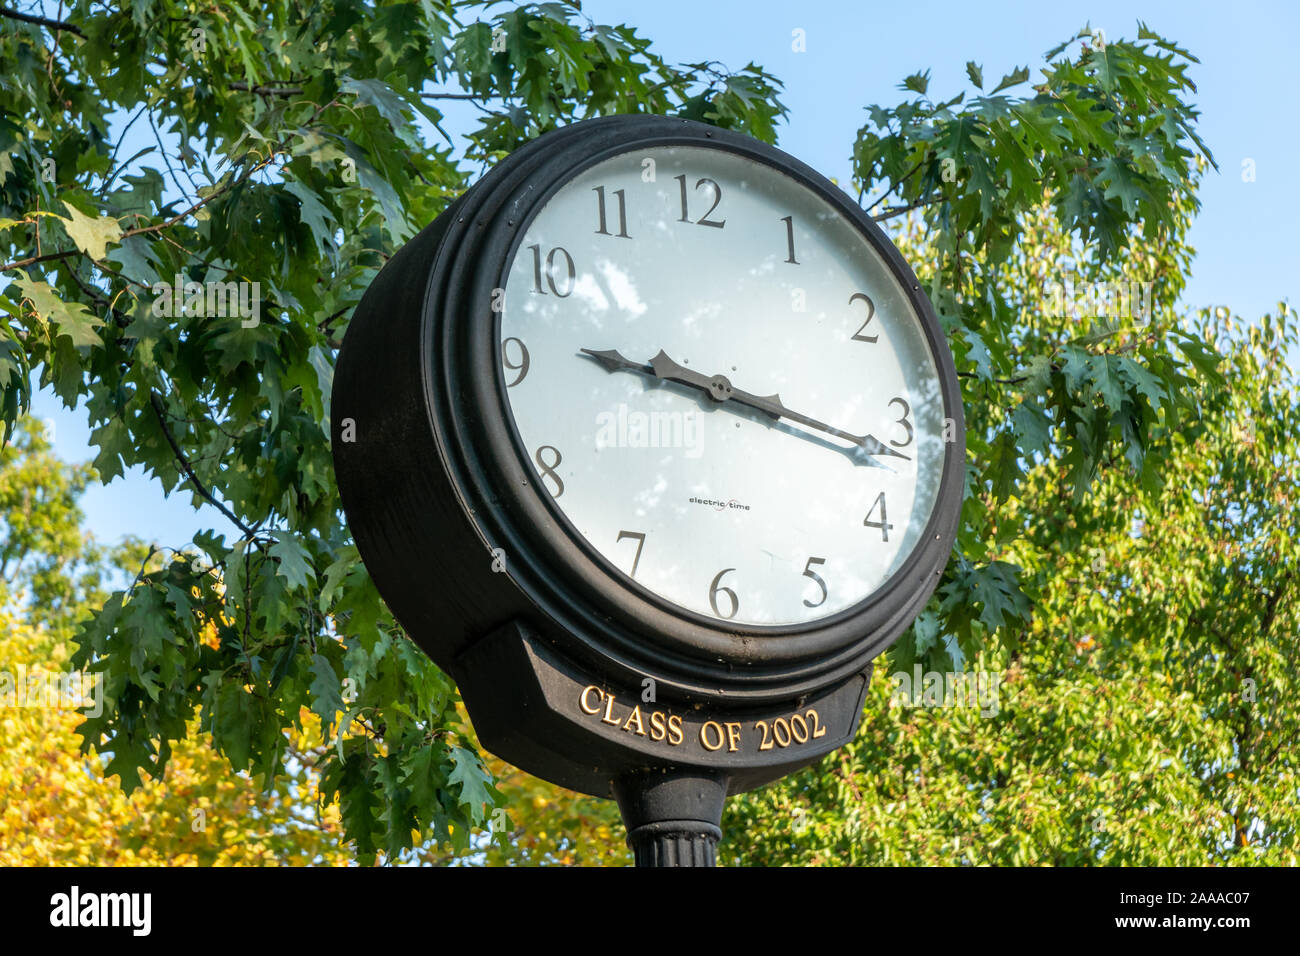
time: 9:16
